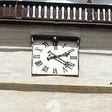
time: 2:21
